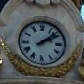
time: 2:08
